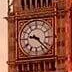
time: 9:22
